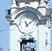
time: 11:07
